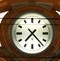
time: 7:23
